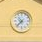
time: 10:37
